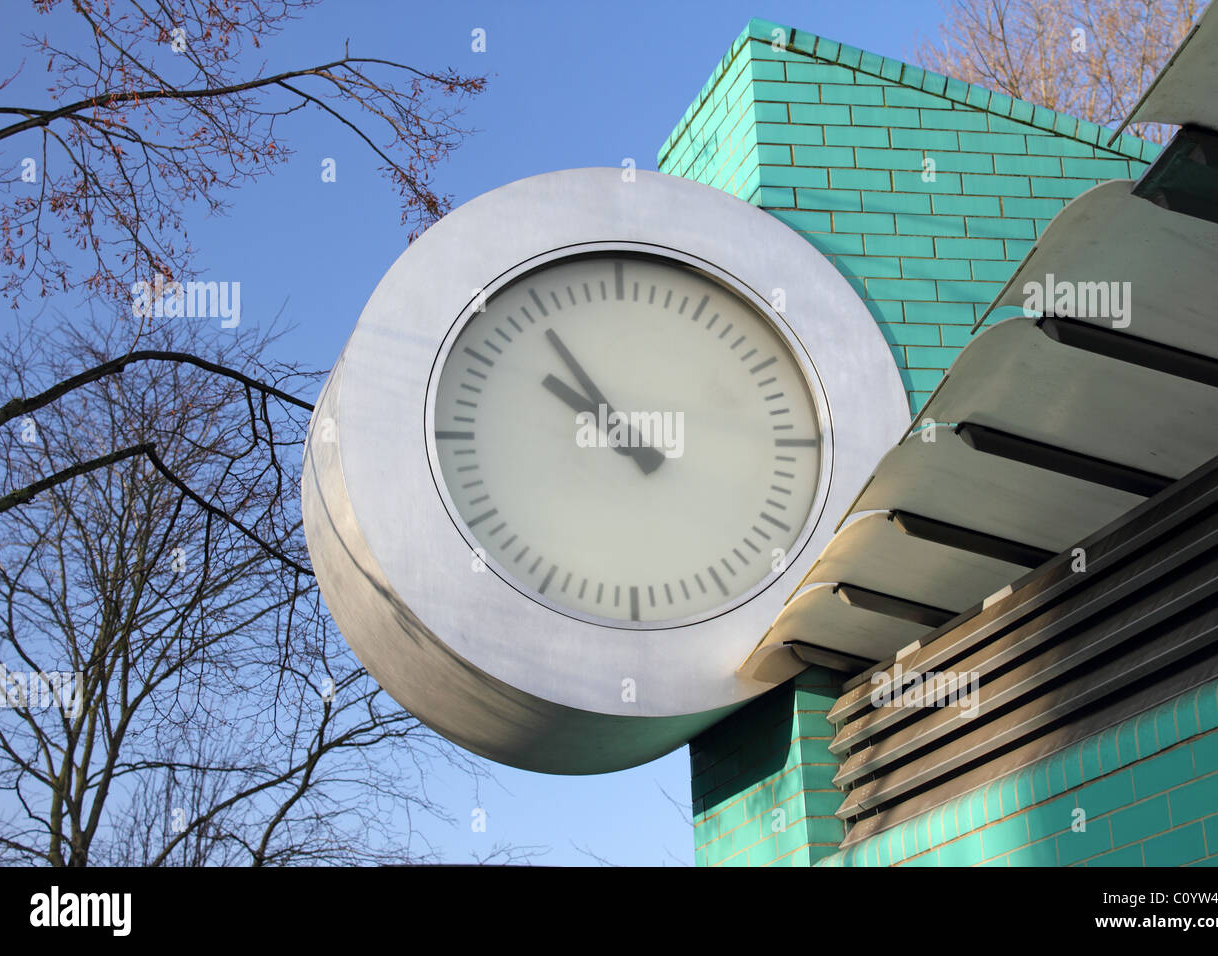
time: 9:54
